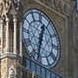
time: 12:32
